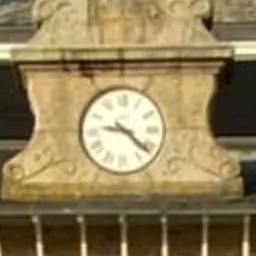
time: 9:21
